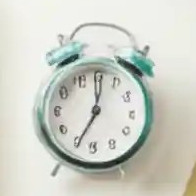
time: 7:00
